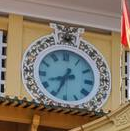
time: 8:33
